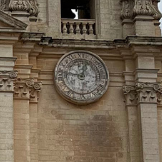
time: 12:46
